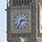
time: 2:34
